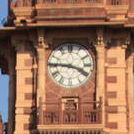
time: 3:45
